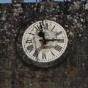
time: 11:14
